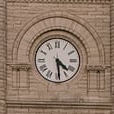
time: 4:29
